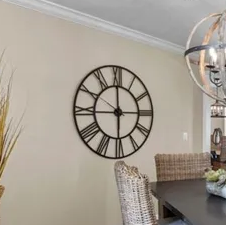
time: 5:59
